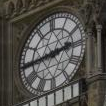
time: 2:44
